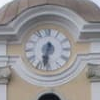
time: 6:32
